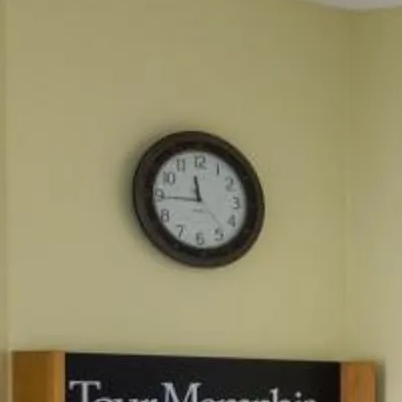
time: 11:44
